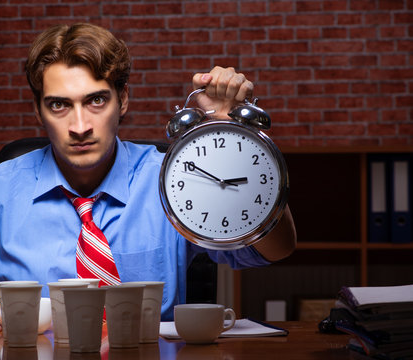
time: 2:50
